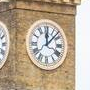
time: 12:07
